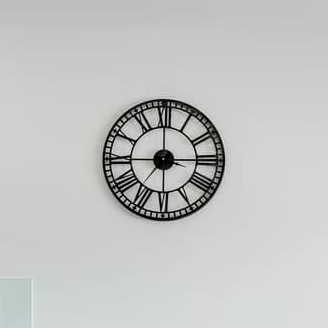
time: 2:59
